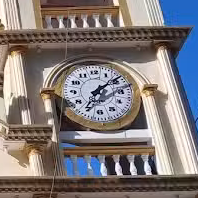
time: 7:08
